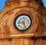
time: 9:26
